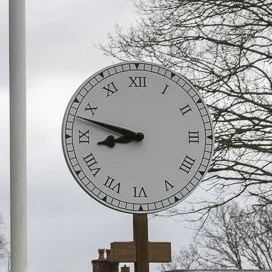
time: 8:48
